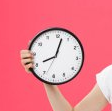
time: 8:02
